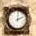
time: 2:01
